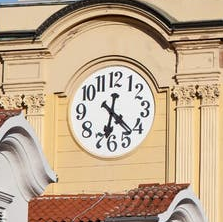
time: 6:22
